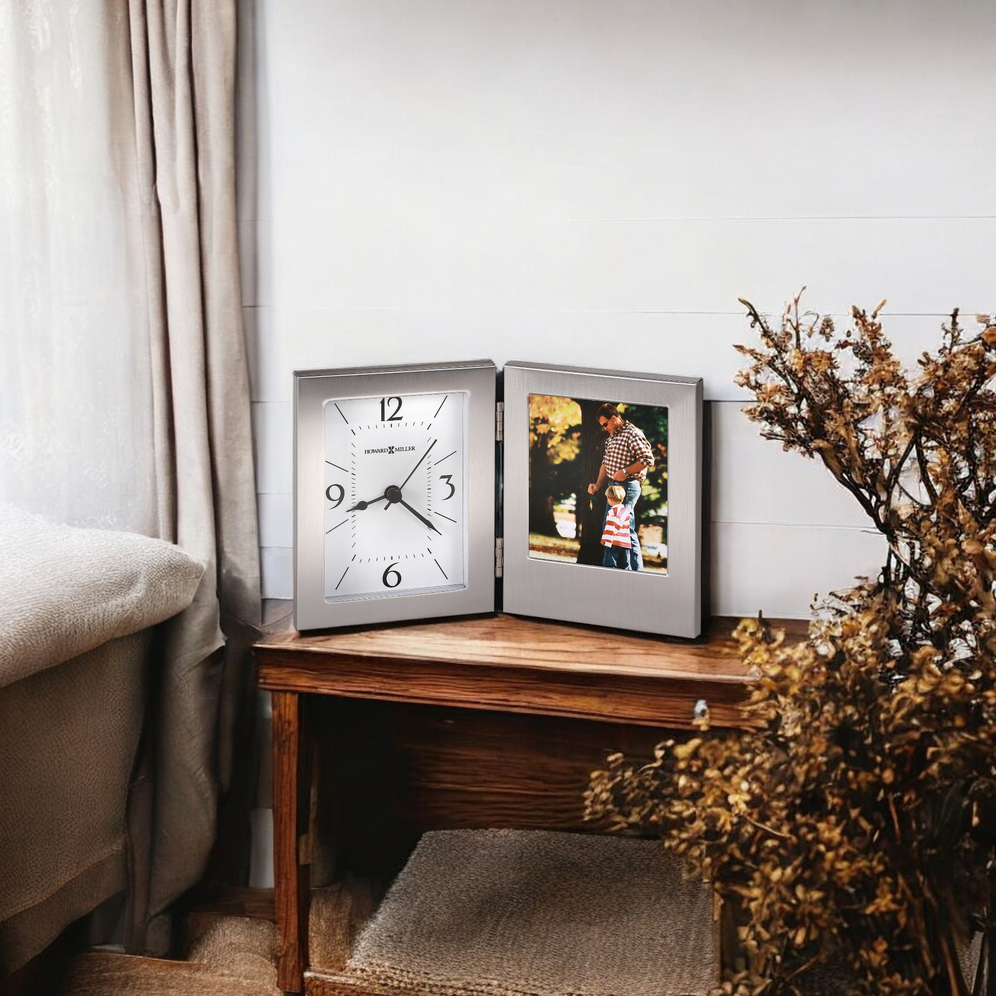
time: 8:21
